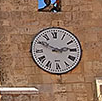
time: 2:50
